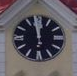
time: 11:58
